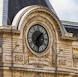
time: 1:30
